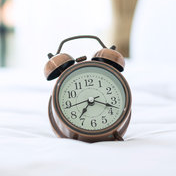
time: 7:17
